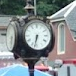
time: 6:32
